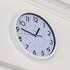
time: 12:46
